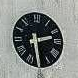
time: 2:29
